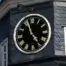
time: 4:56
